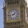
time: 1:43
